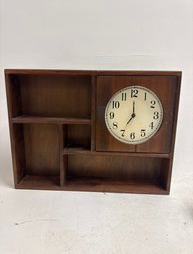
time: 7:00
